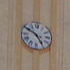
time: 4:50
